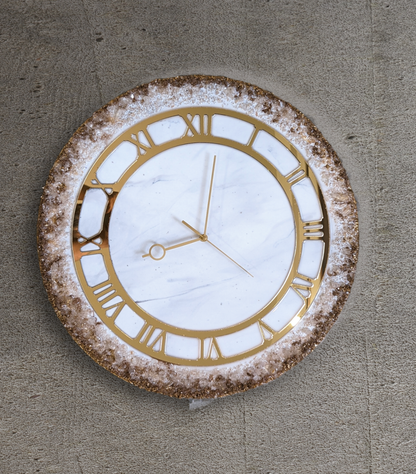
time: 9:01
